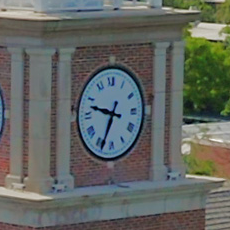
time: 9:34
